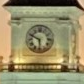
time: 5:49
